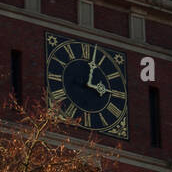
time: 3:02
